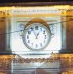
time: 12:55
